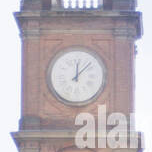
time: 12:07
